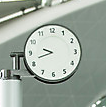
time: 9:42
